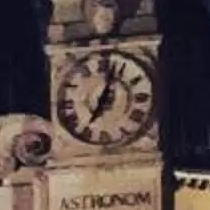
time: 7:03
